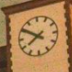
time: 7:50
